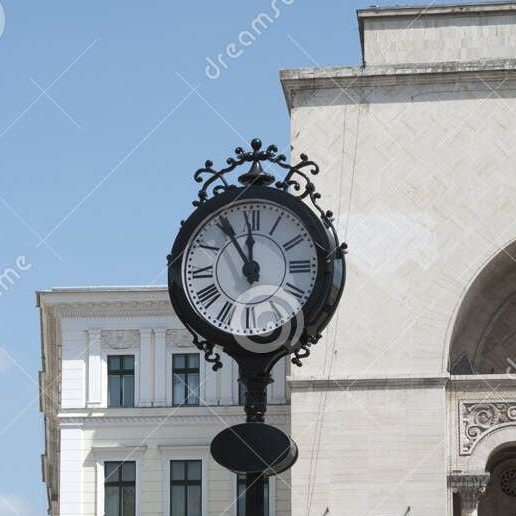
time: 11:54
